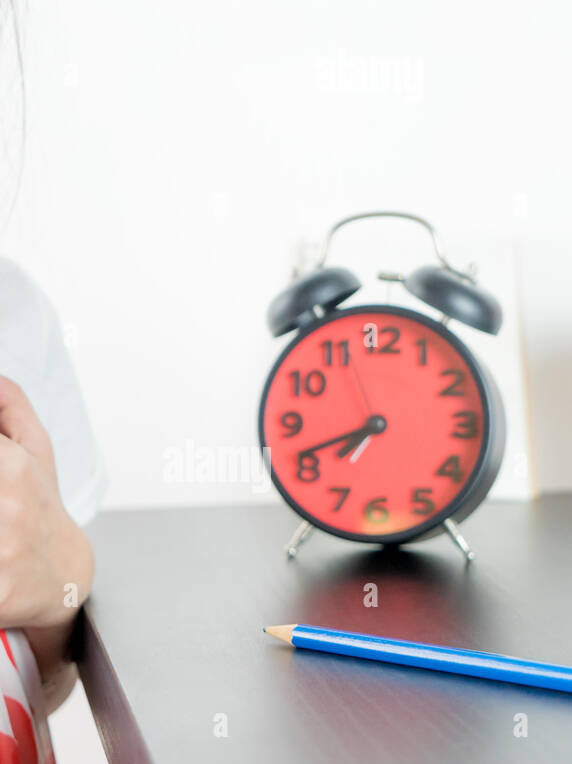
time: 7:41
